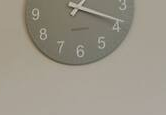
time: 1:18
